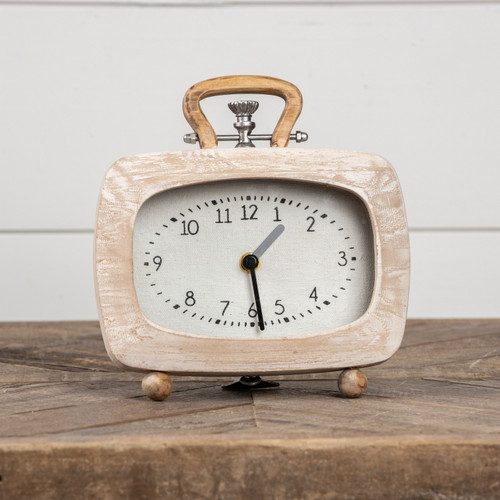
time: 1:28
